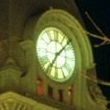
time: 7:07
